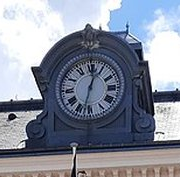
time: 12:32
